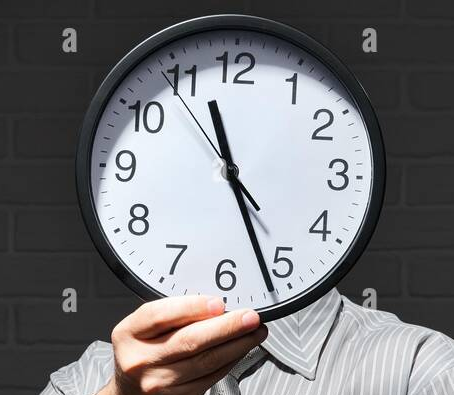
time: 11:26
